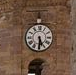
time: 5:30
